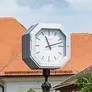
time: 11:12
